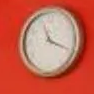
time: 11:19
